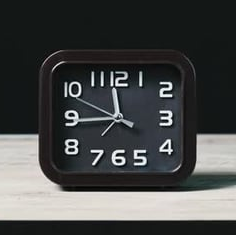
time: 11:44
